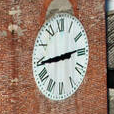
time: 2:44
